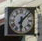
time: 6:07
